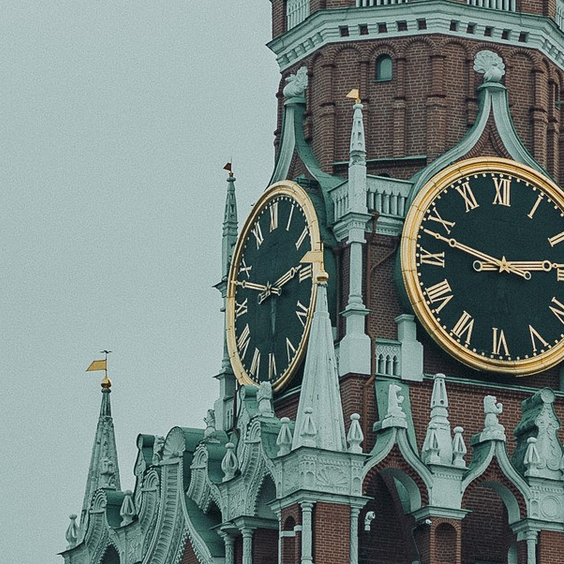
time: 2:48
